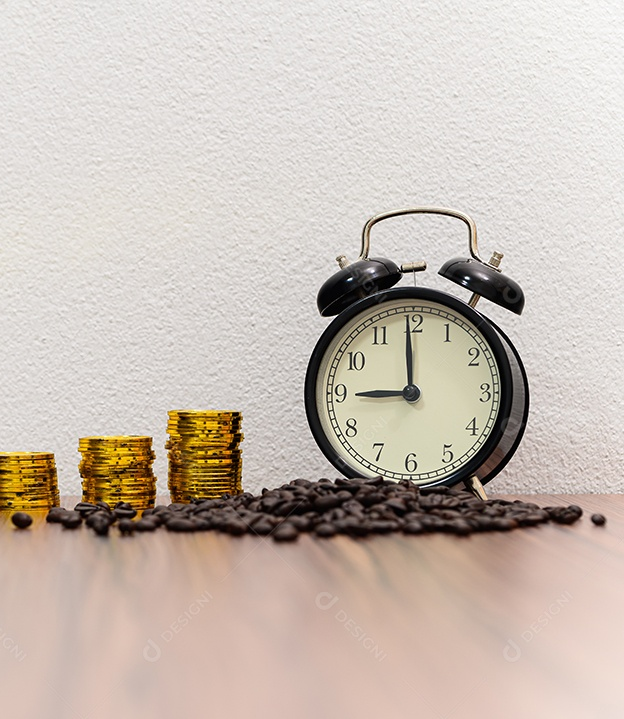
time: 8:59
